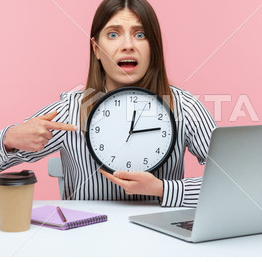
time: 12:13
